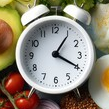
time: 1:19
